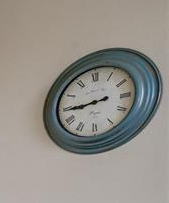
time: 8:44
